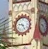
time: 9:25
